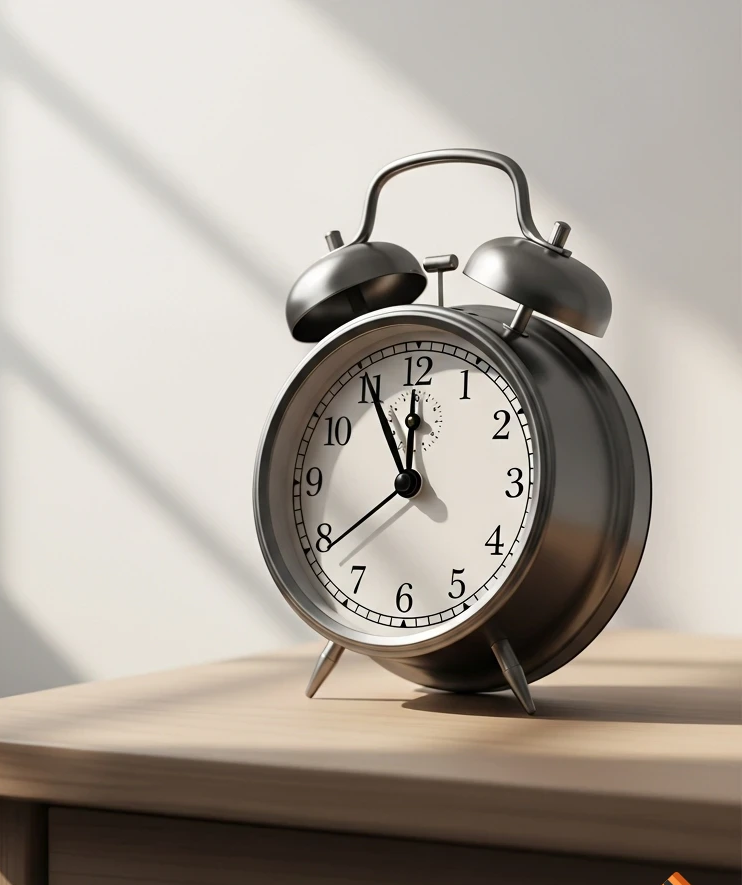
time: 11:55
